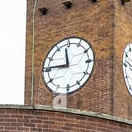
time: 11:46
